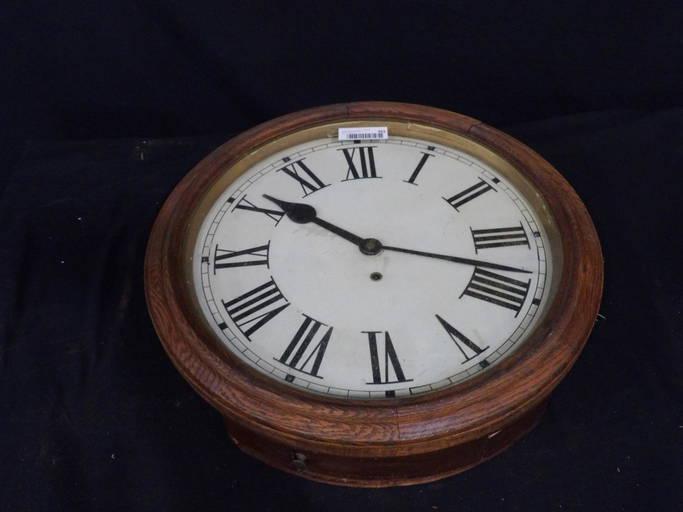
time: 10:17
